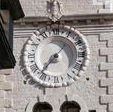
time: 7:37
